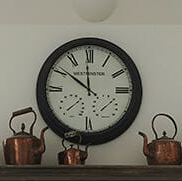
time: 11:50
